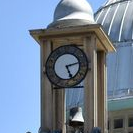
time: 5:13
